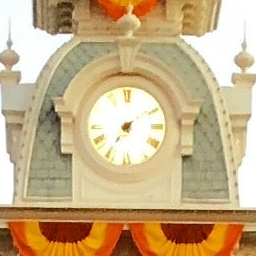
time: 7:09
